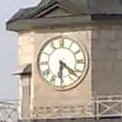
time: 6:21
